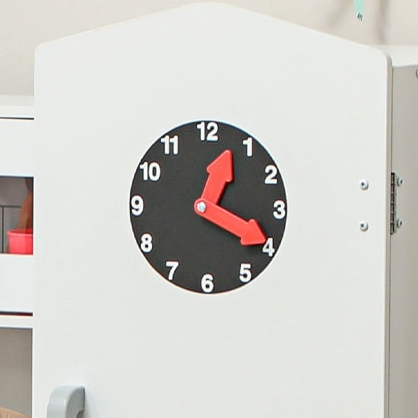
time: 12:19
